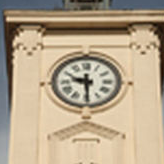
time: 9:29
